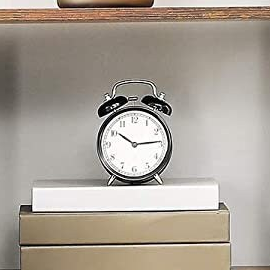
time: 10:14
